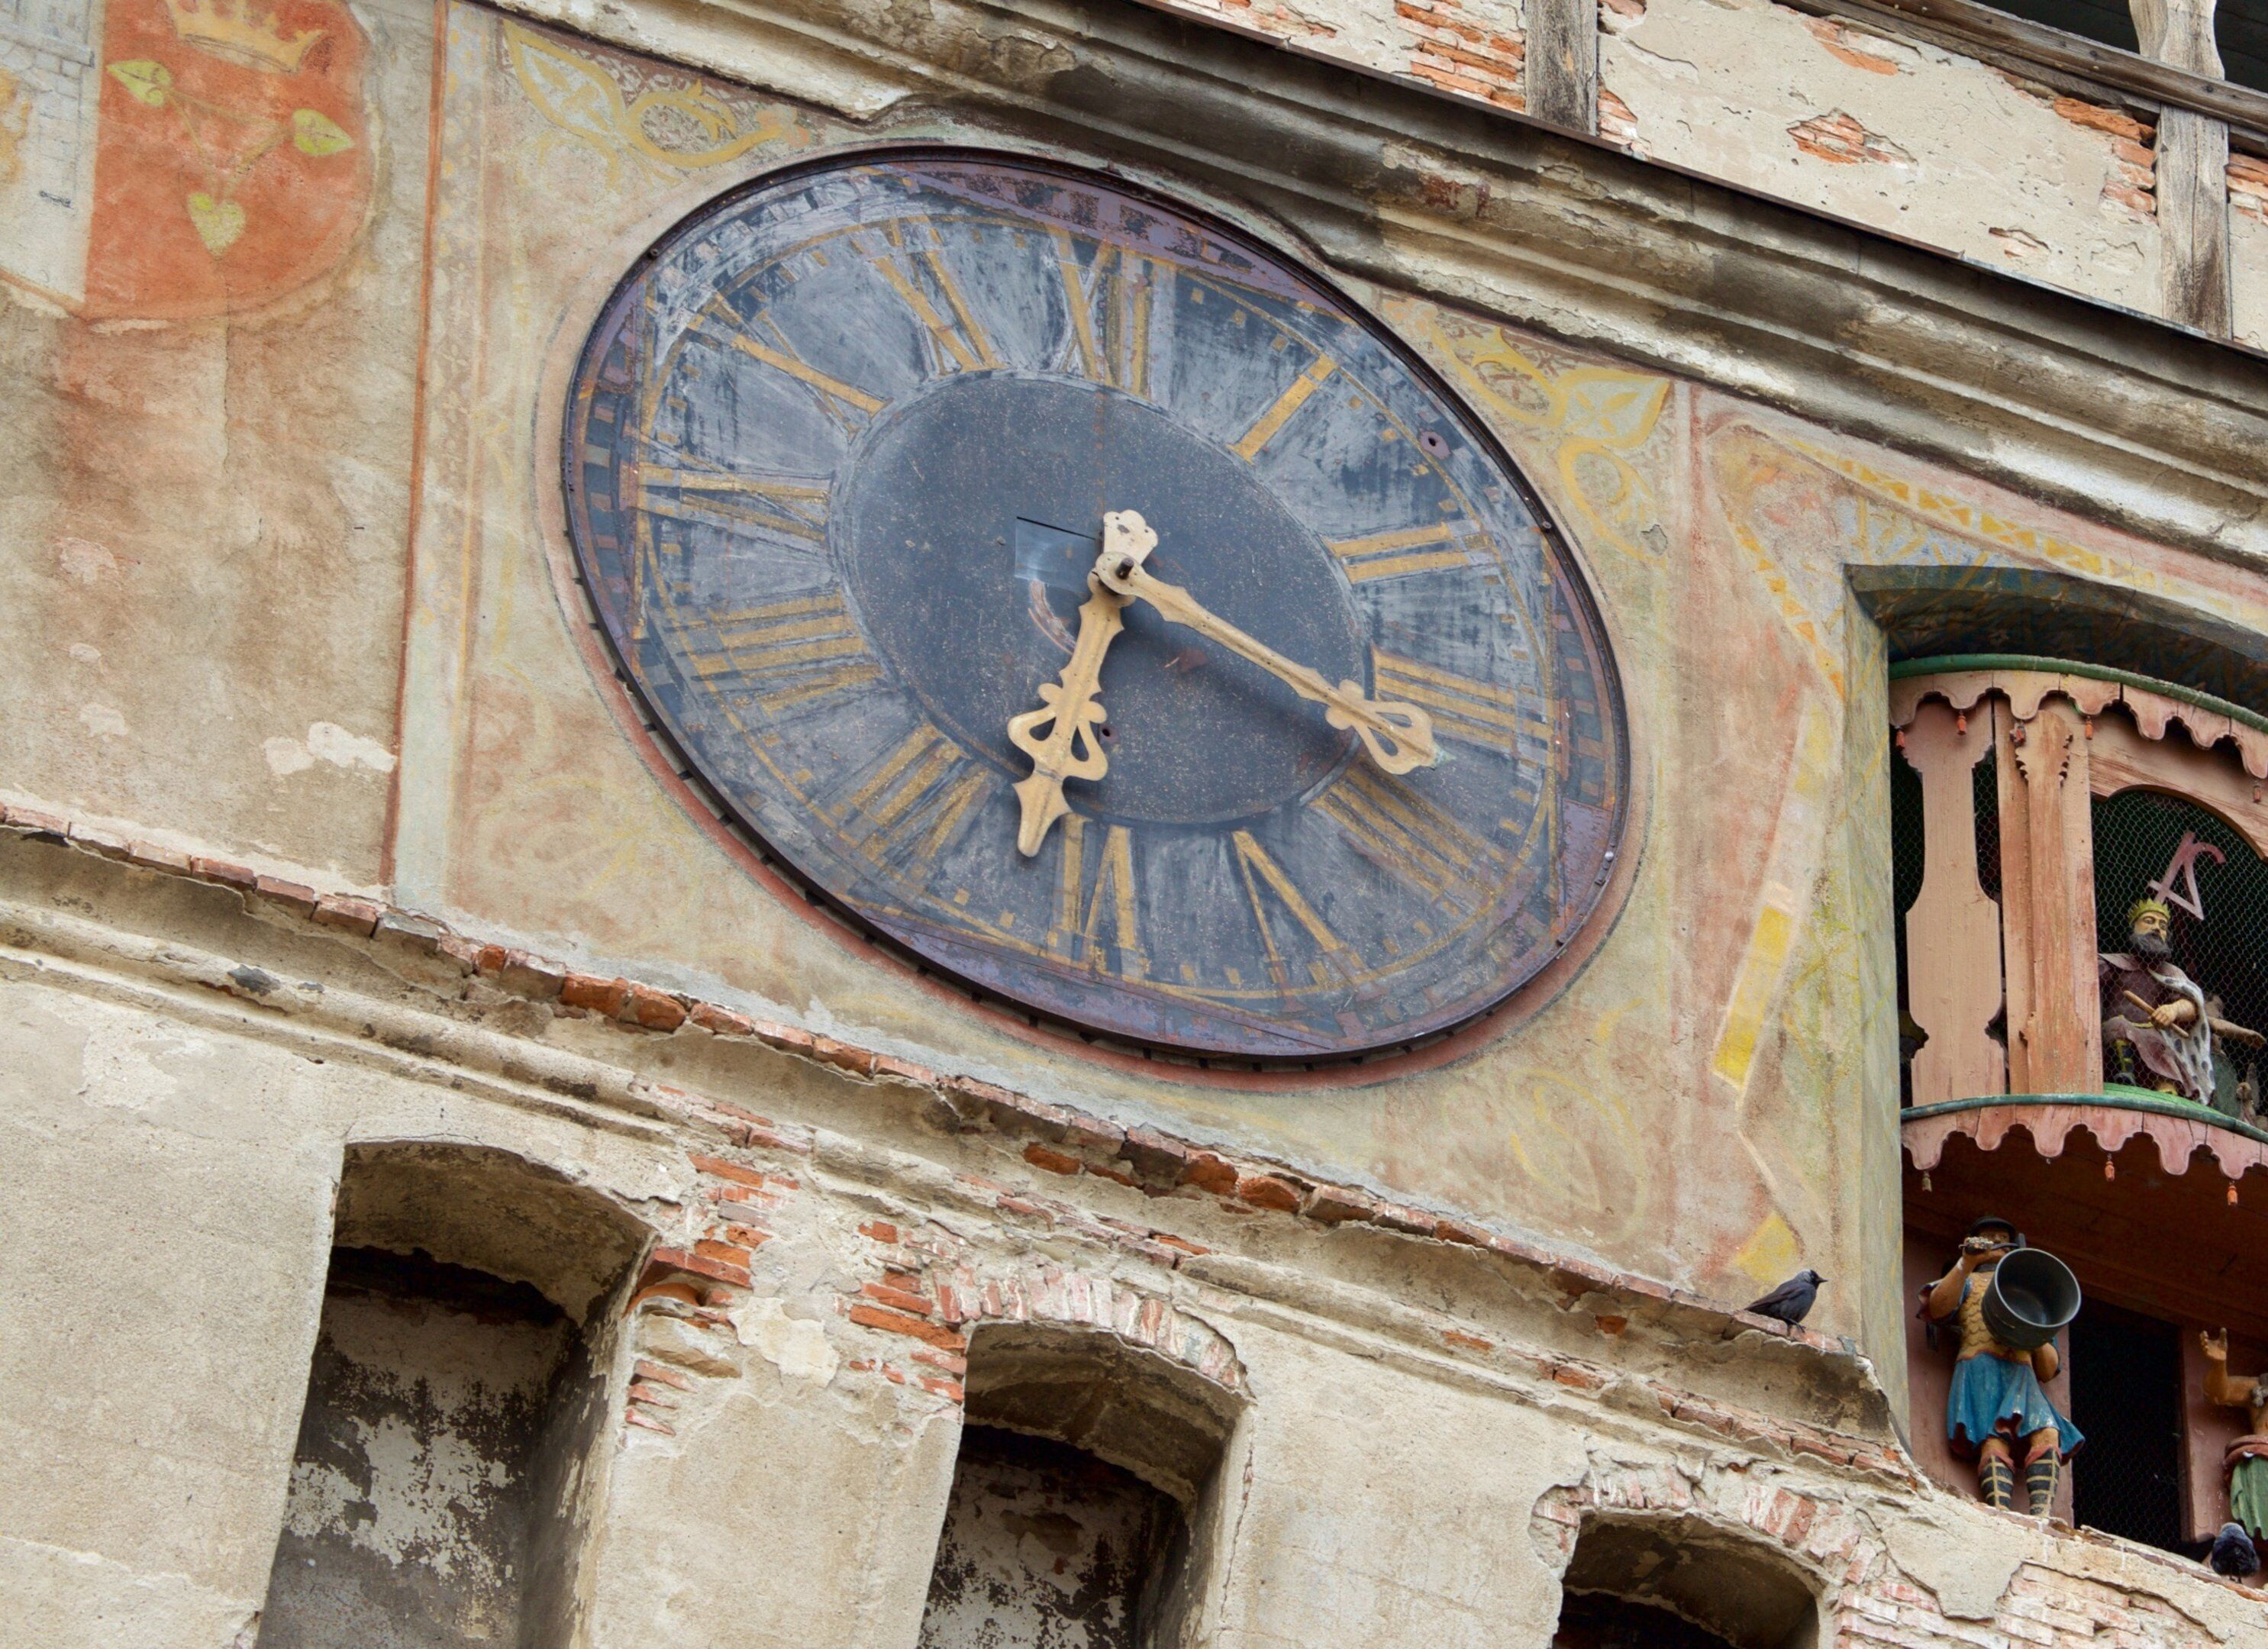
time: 3:32
